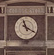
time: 11:20
